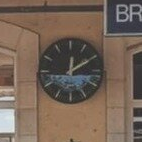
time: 12:09
